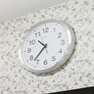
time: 10:37
